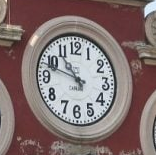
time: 10:48
